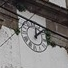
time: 12:07
